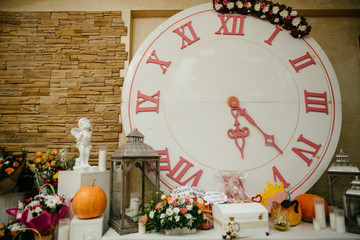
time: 5:21
